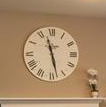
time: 11:28
